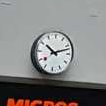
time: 10:12
